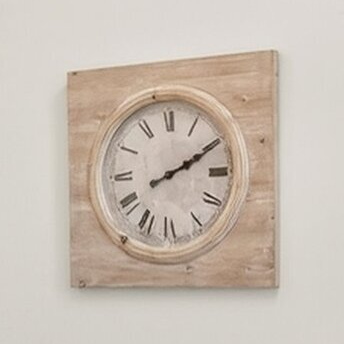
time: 2:10
